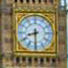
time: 8:30
